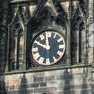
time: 11:48
